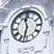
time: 11:32
